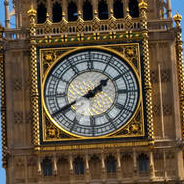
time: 1:40
